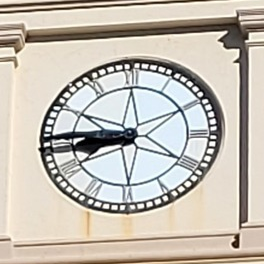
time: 8:45
